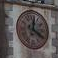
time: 12:20
